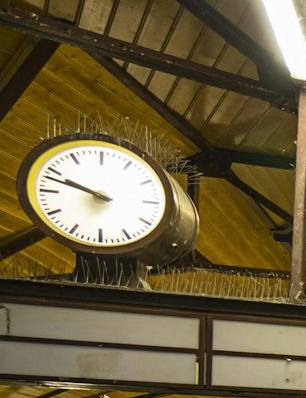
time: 9:48
